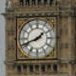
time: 1:41
